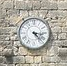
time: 3:22
